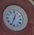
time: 12:33
